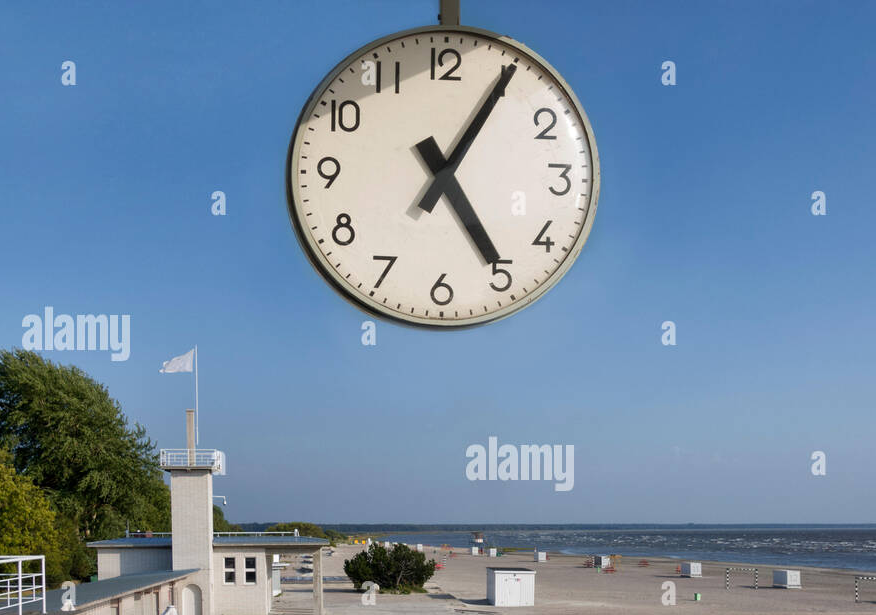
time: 5:05
